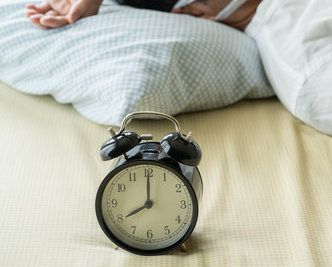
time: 8:00
